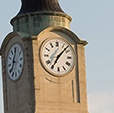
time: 7:07
